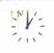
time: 1:00
